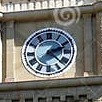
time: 2:22
